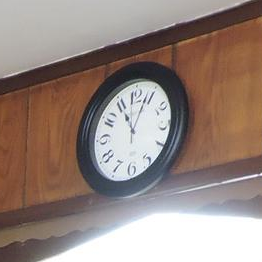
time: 11:03
